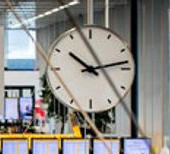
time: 10:13
